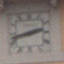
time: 2:42
